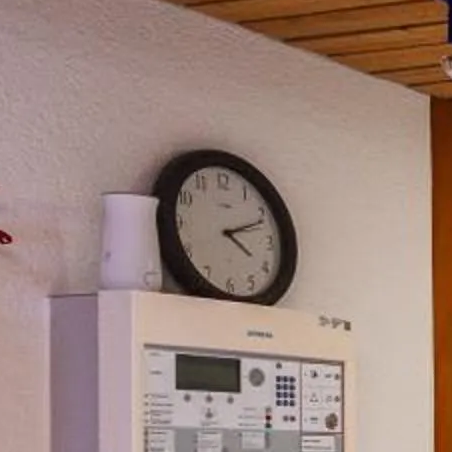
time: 4:11
